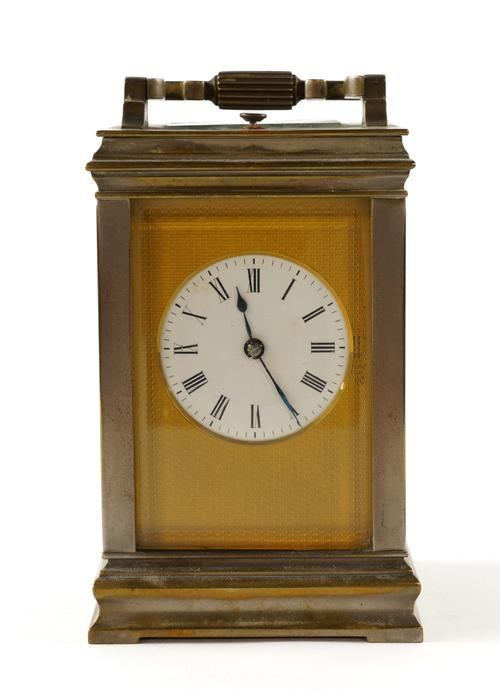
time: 11:24
